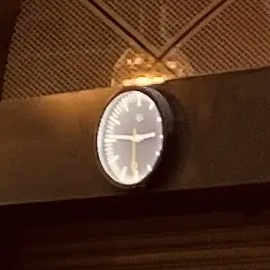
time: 2:46
